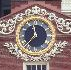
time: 11:37
